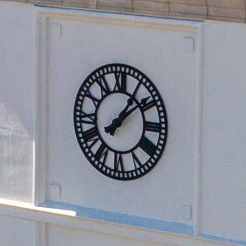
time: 1:08
